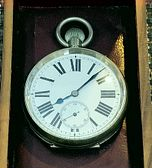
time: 8:07
